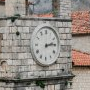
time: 2:13
